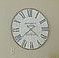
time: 2:21
